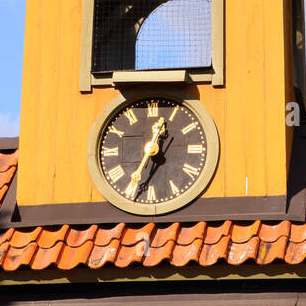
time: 12:34
